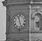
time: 11:26
